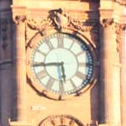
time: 5:44
